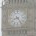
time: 8:24
